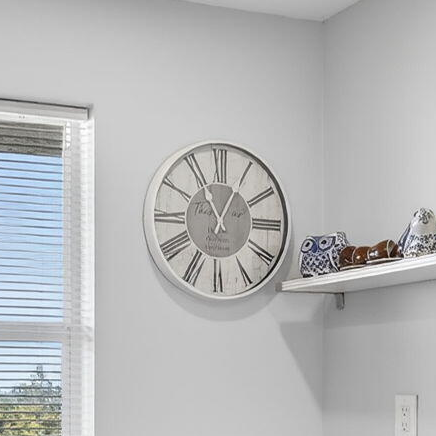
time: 12:55
